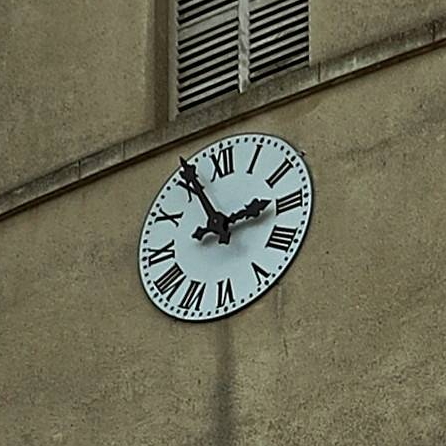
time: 2:55
